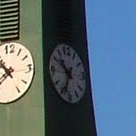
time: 10:34
